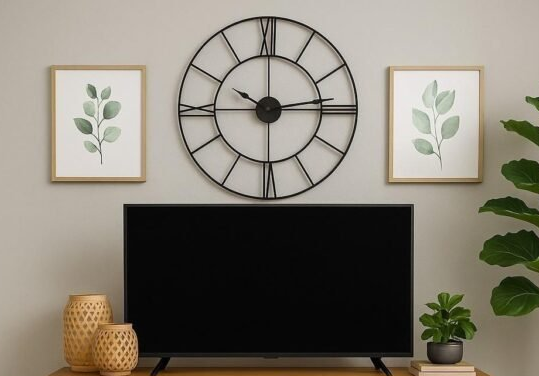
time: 10:14
